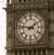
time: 1:46
